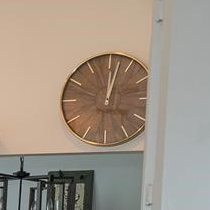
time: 12:02
